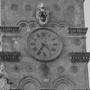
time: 4:35
